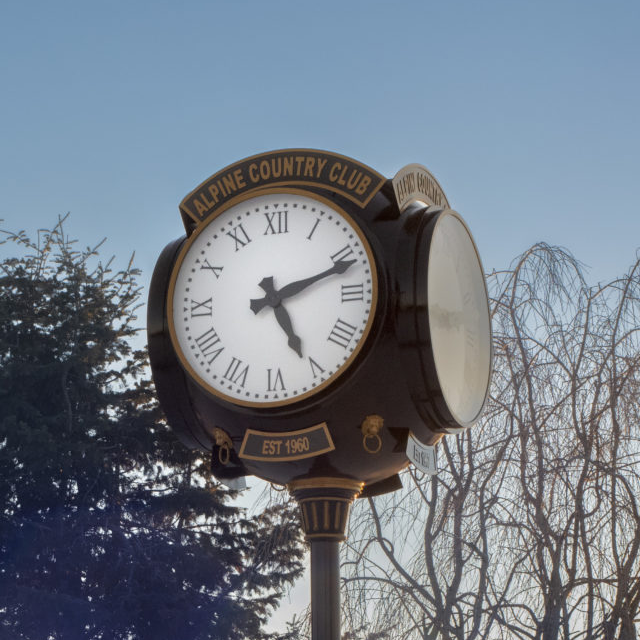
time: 5:11
